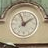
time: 1:56
